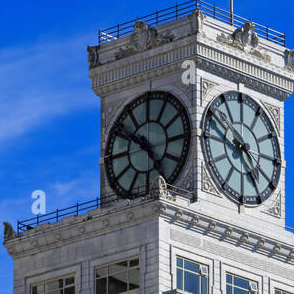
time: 4:50
